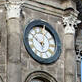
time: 5:49
